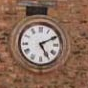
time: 5:10
